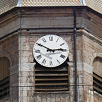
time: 2:50
